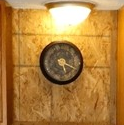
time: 5:19
